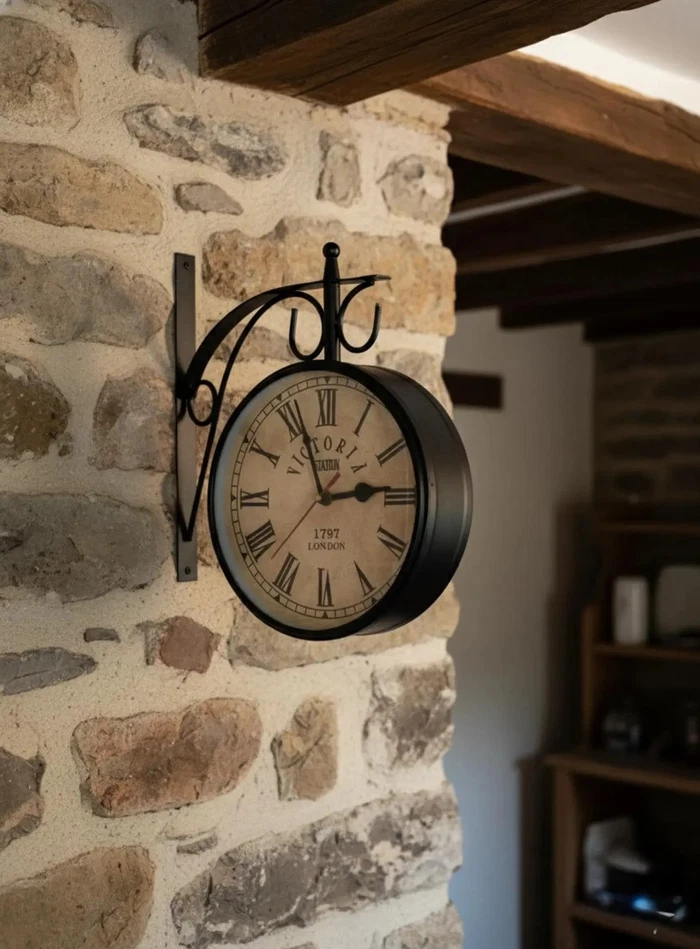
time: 11:13
